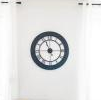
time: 11:14
